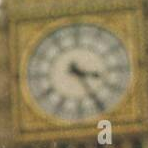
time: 3:24
